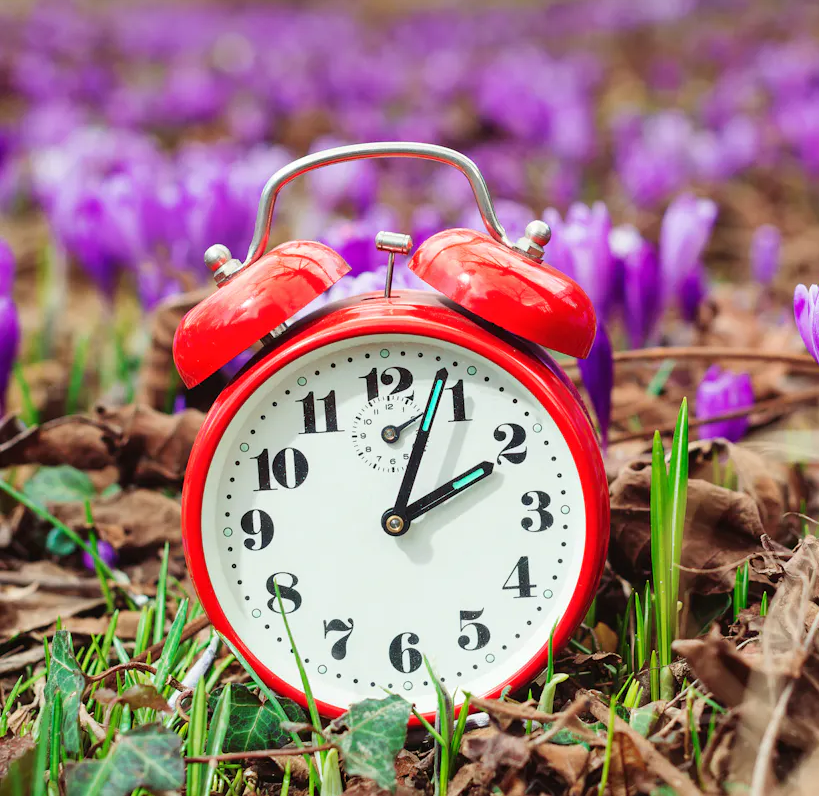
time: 2:03
